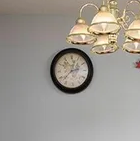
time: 12:37
